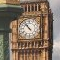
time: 10:53
